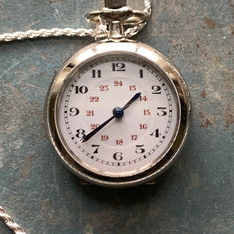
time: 1:38
